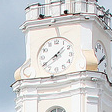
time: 1:39
